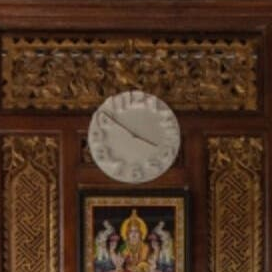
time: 3:51
